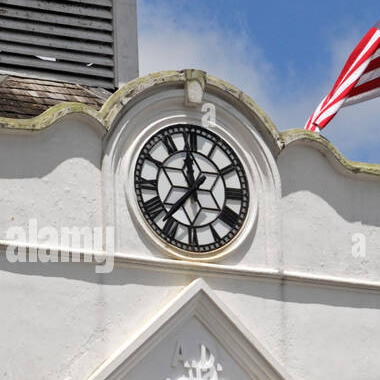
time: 11:36
